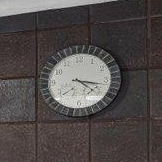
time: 4:17
